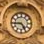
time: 4:44
